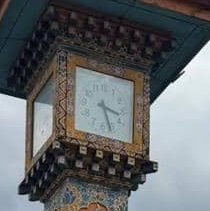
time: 3:26
